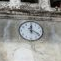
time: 12:19
